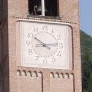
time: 10:13
